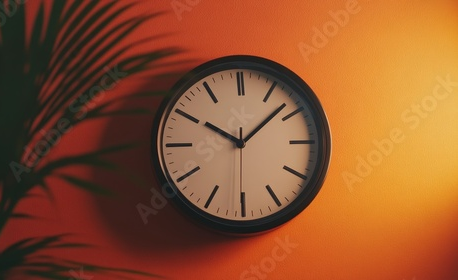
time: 10:07
